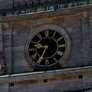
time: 9:34
